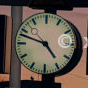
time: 4:48
